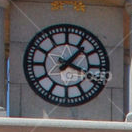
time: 1:18
